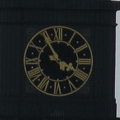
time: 3:54
